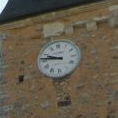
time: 9:45
